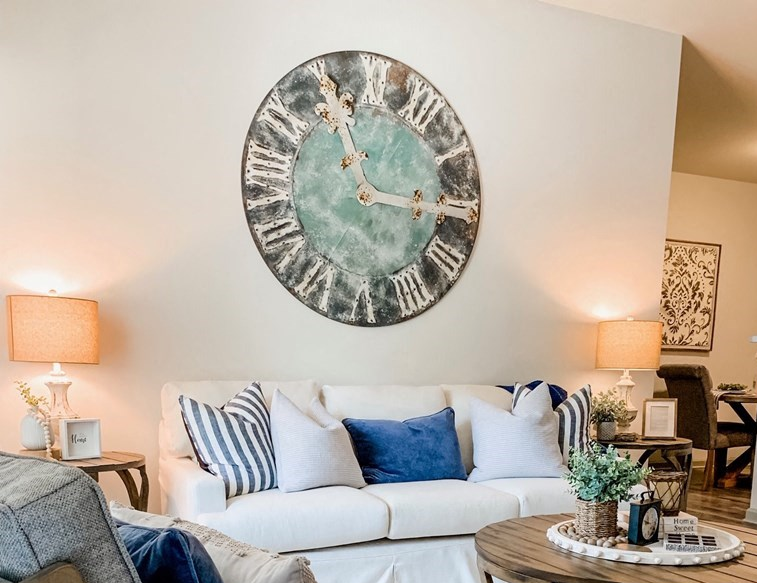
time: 11:15
